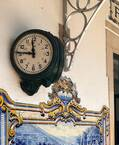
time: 11:45
